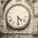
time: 4:28
